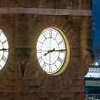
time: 8:14
